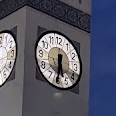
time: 5:31
